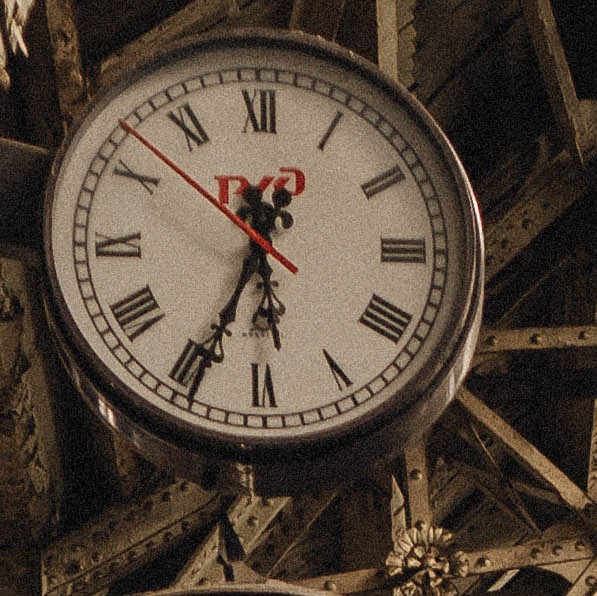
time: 5:33
